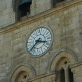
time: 3:37
